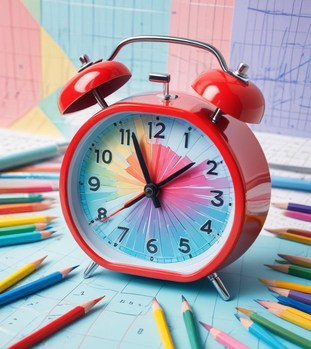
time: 1:56
